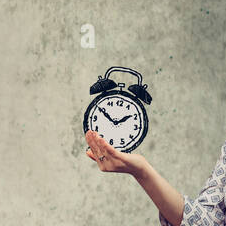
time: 1:50
